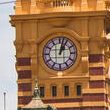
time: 1:02
